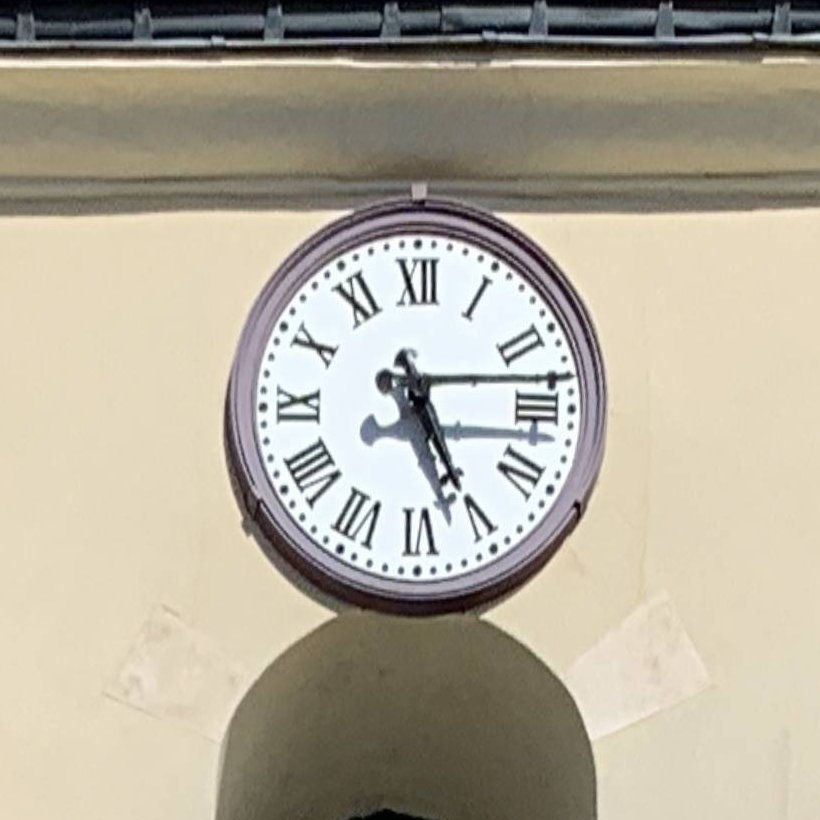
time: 5:14
